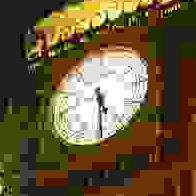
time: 5:30
